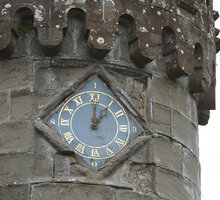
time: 1:00
